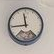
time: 11:44
